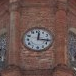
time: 12:16
